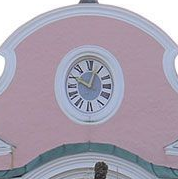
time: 12:49
